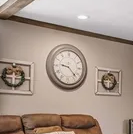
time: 9:22
